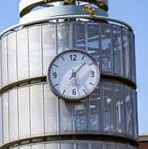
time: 1:28
